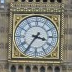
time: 3:35
